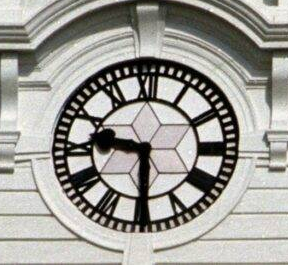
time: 9:29
